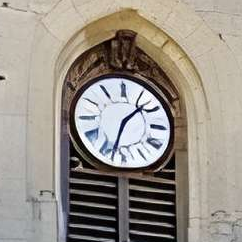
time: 1:32
